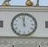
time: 11:58
